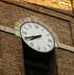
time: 7:40
